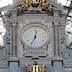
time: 12:34
